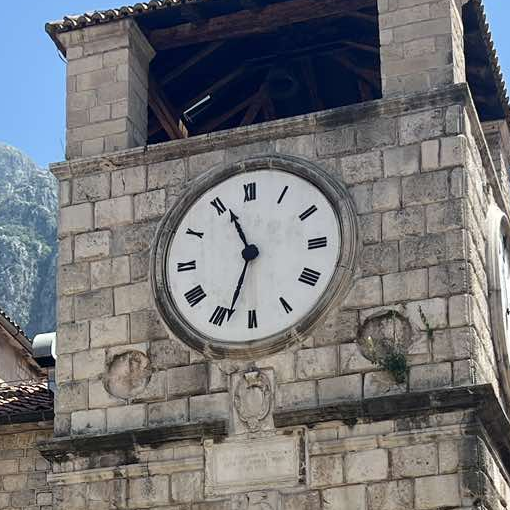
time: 11:33
